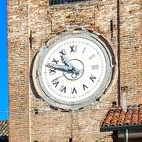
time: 10:47
